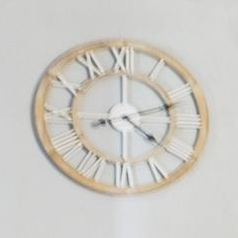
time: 4:12
